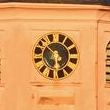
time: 5:51
